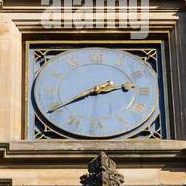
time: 2:40
